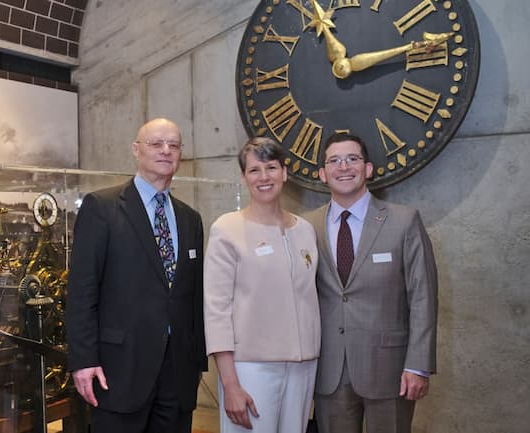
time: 11:13
